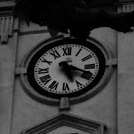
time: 5:18
